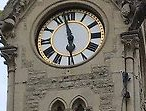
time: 5:57
